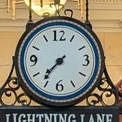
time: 7:36
